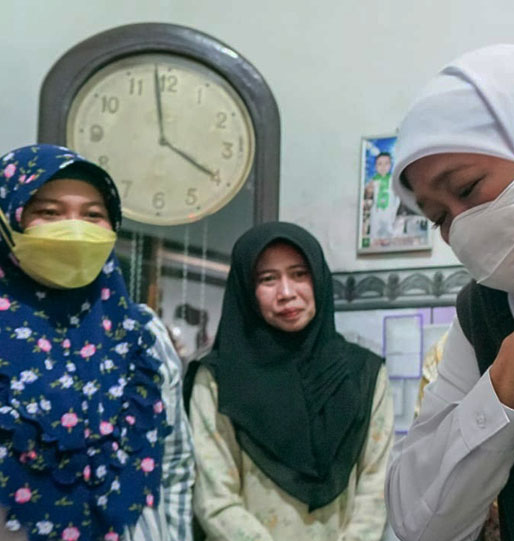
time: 3:58
